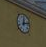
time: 12:12
